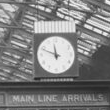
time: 11:48
